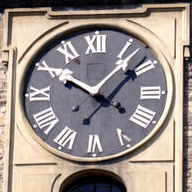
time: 10:07
